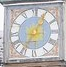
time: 7:04
